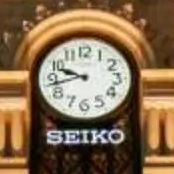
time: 9:42
